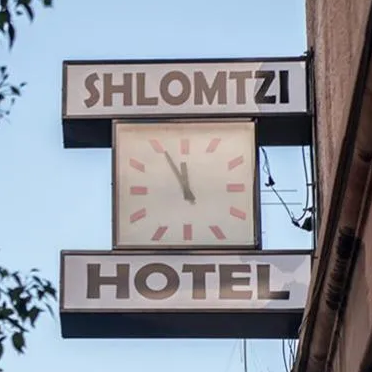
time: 11:55
